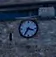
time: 3:35
